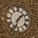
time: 1:33
